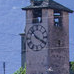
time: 10:19
